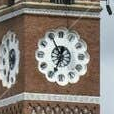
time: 6:55
